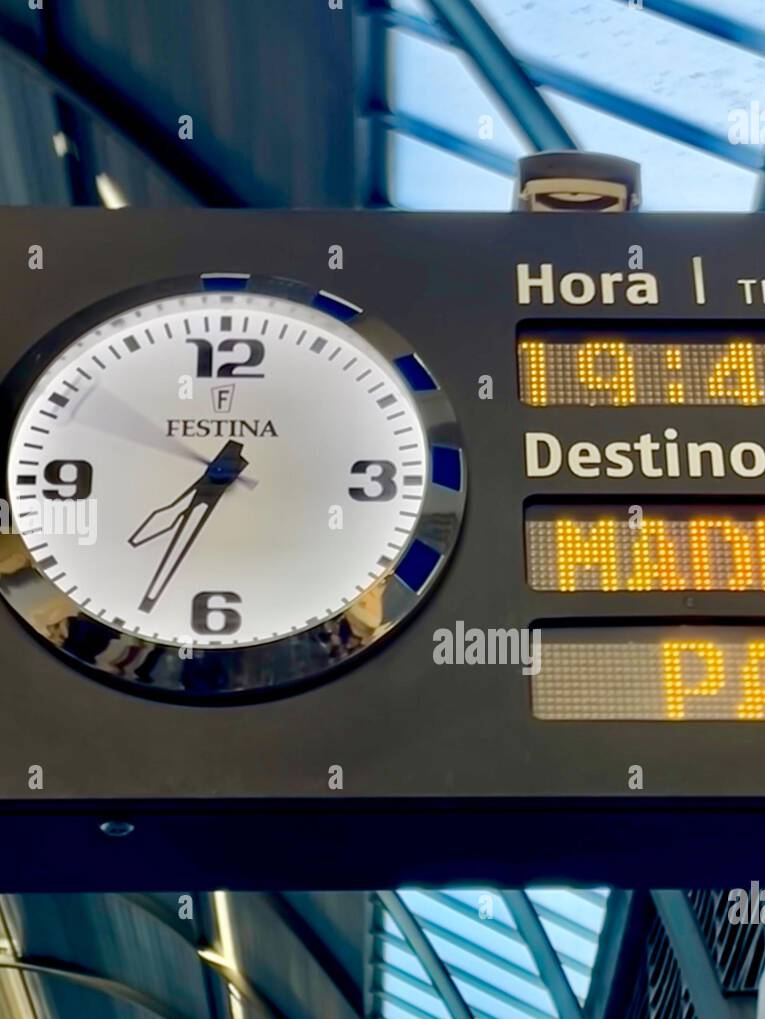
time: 7:33
